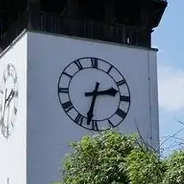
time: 2:32
